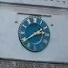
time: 2:39
